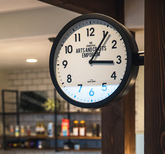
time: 3:05
